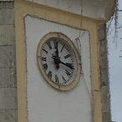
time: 12:16
